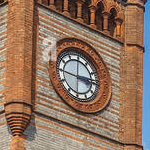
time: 2:45
